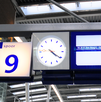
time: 4:20
